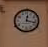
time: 12:17
